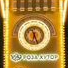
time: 6:26
